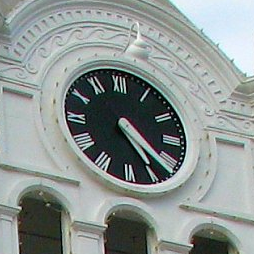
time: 4:24
